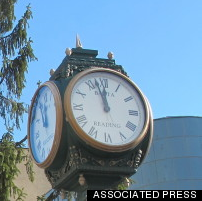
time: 11:57
